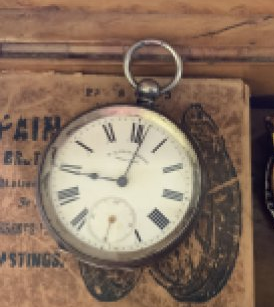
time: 9:01
